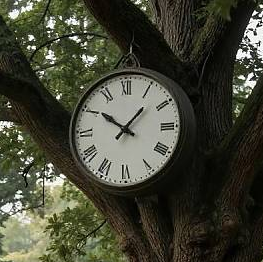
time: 10:07
